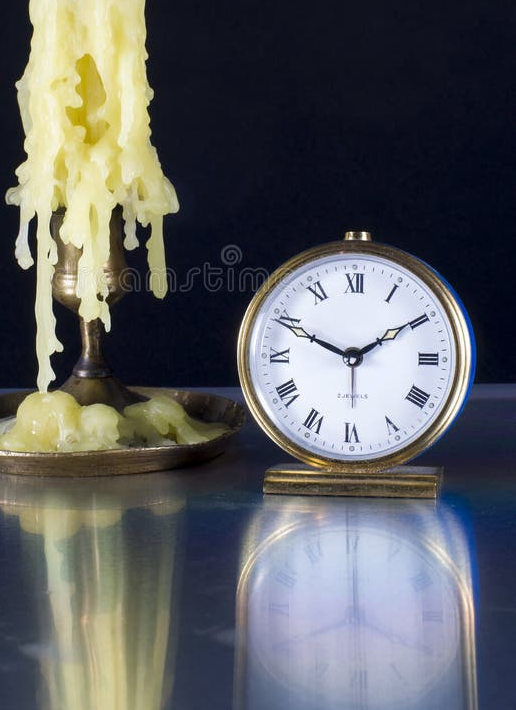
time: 1:49
